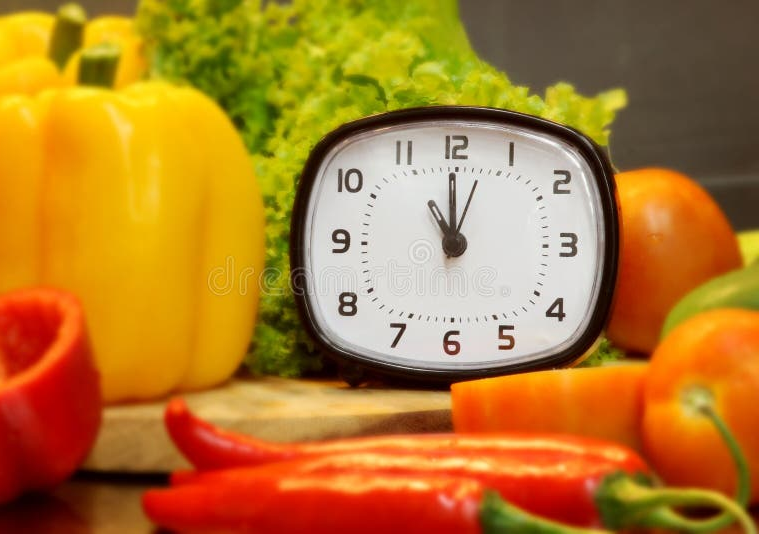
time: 11:59
